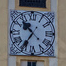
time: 10:35
